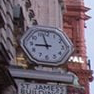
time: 8:57
